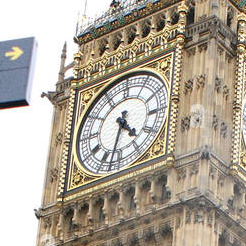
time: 4:32
